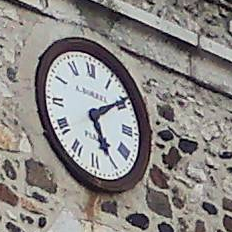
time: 5:09
